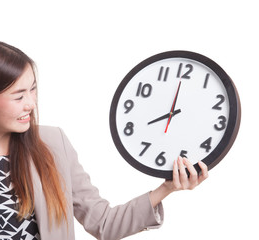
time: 7:59
